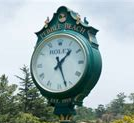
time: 1:26
